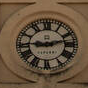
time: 9:12
